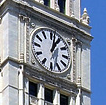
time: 1:02
